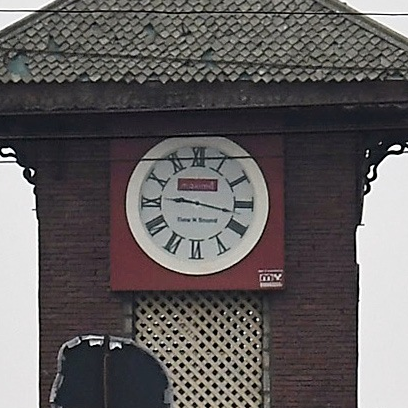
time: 9:17
